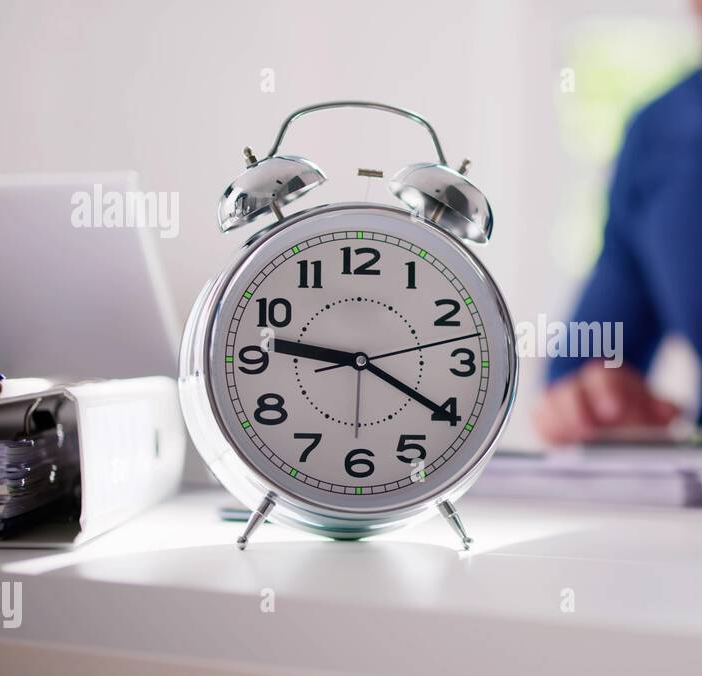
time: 9:20
